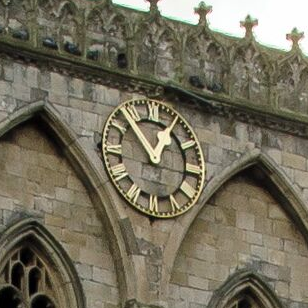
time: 12:53
